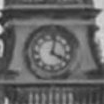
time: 4:02
